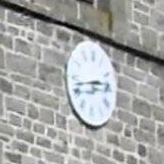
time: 2:42
